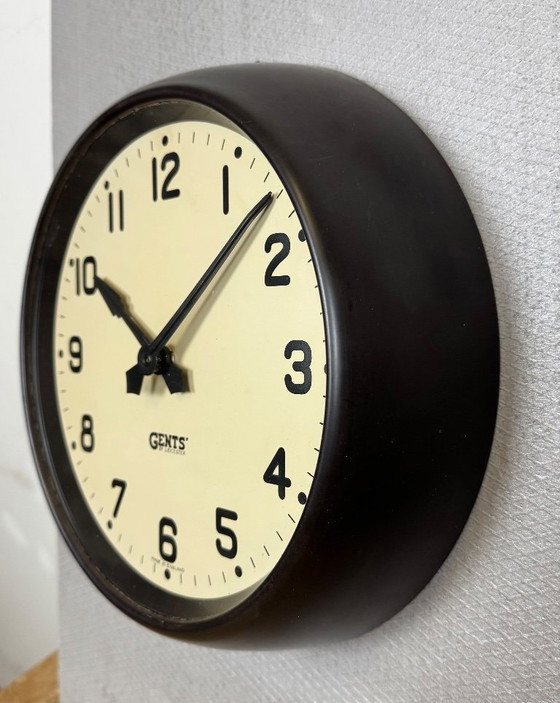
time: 10:07
